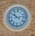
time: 10:12
